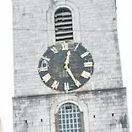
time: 12:25
